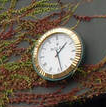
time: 1:28
